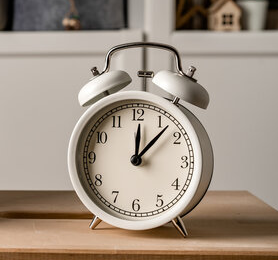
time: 12:07
